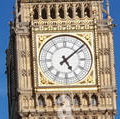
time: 5:08
